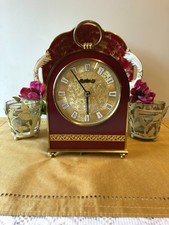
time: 5:54
